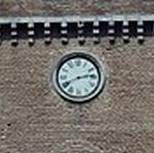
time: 2:40
